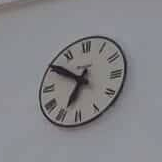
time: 6:50
